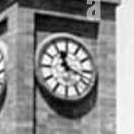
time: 11:17
